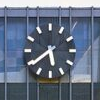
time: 5:39
